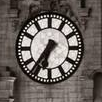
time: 6:36
